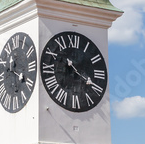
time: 10:19
